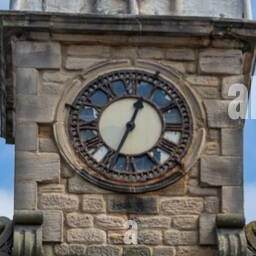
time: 12:34
